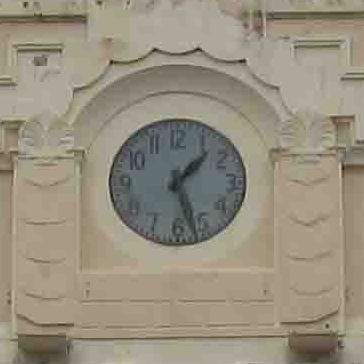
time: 1:26
